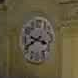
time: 3:40
